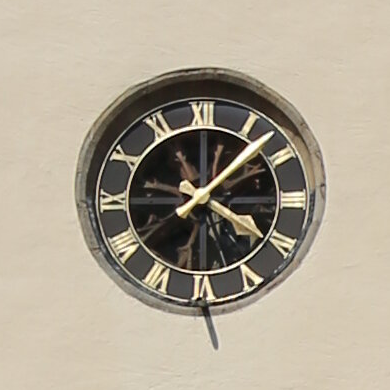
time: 4:07
